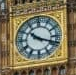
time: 10:18
